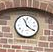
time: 11:21
